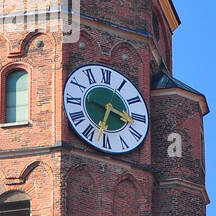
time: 3:32
